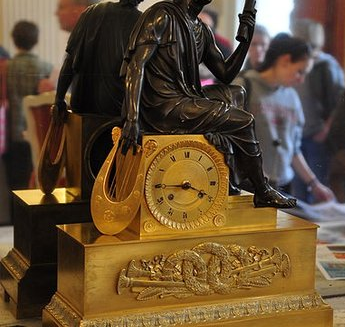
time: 3:44
